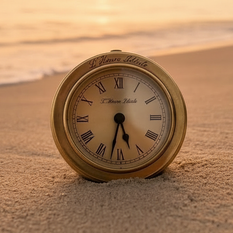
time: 5:32
